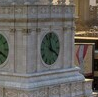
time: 3:58
